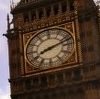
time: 8:11
